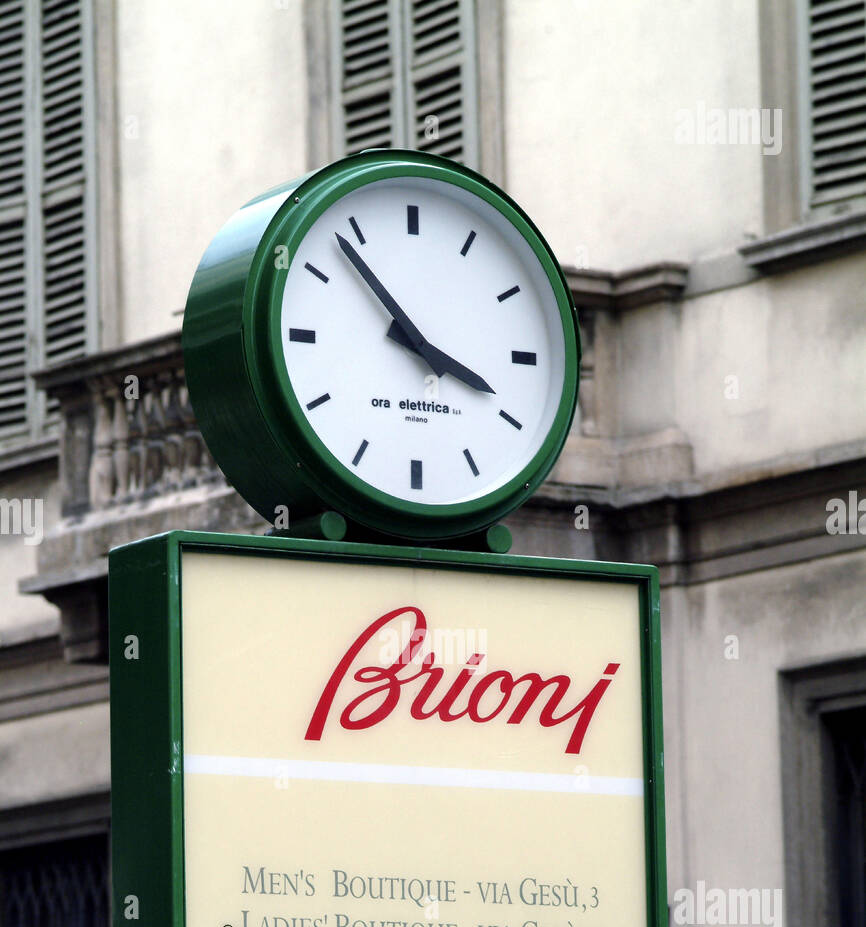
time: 3:53
